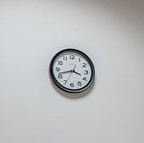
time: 3:42
